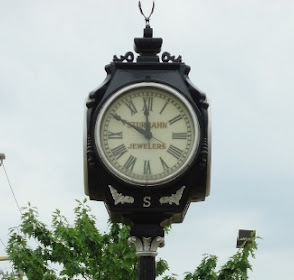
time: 11:49
